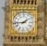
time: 1:43
